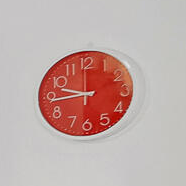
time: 9:44
